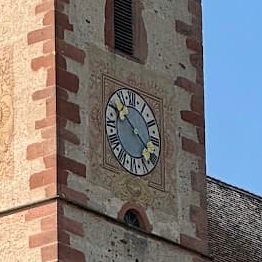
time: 10:20
